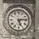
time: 5:13
